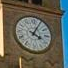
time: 4:04
